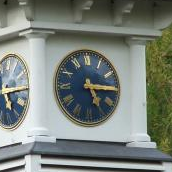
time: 5:15
